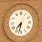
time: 7:32
